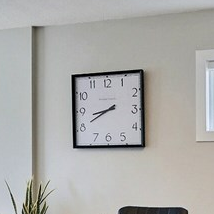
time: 8:40
